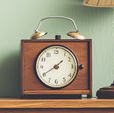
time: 1:40
